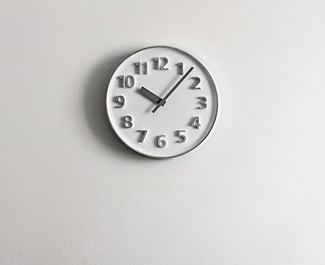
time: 10:07
